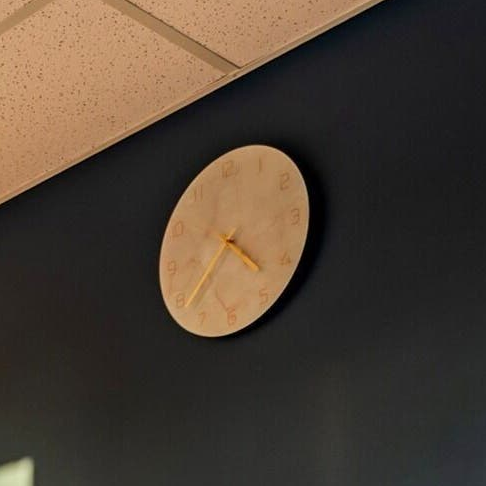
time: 4:38
